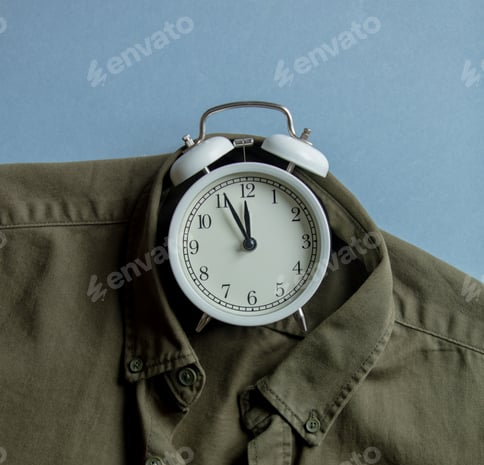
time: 11:55
